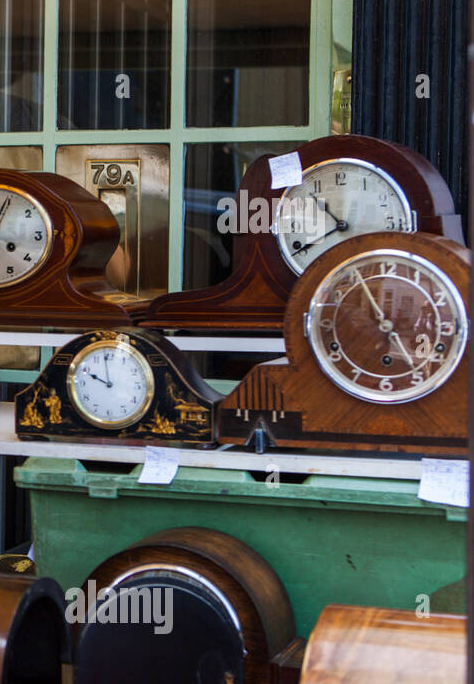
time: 4:56
